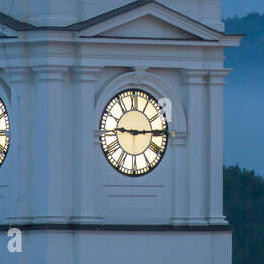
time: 9:14
